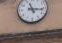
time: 11:16
